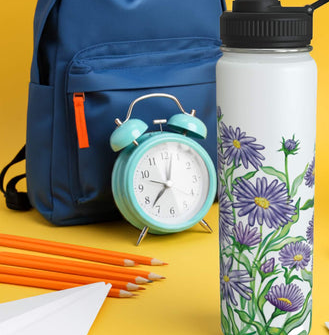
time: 12:37
